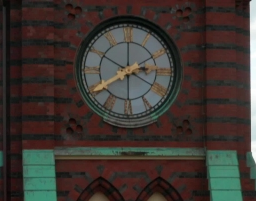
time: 2:40
